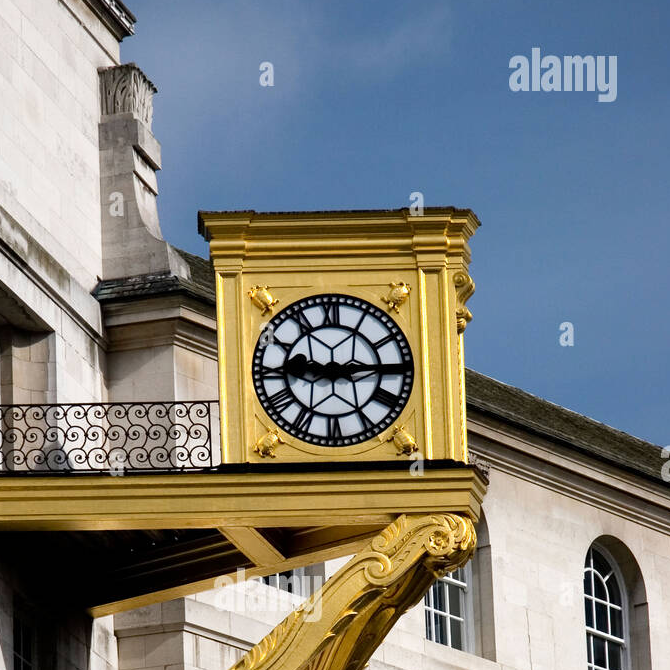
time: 9:14
